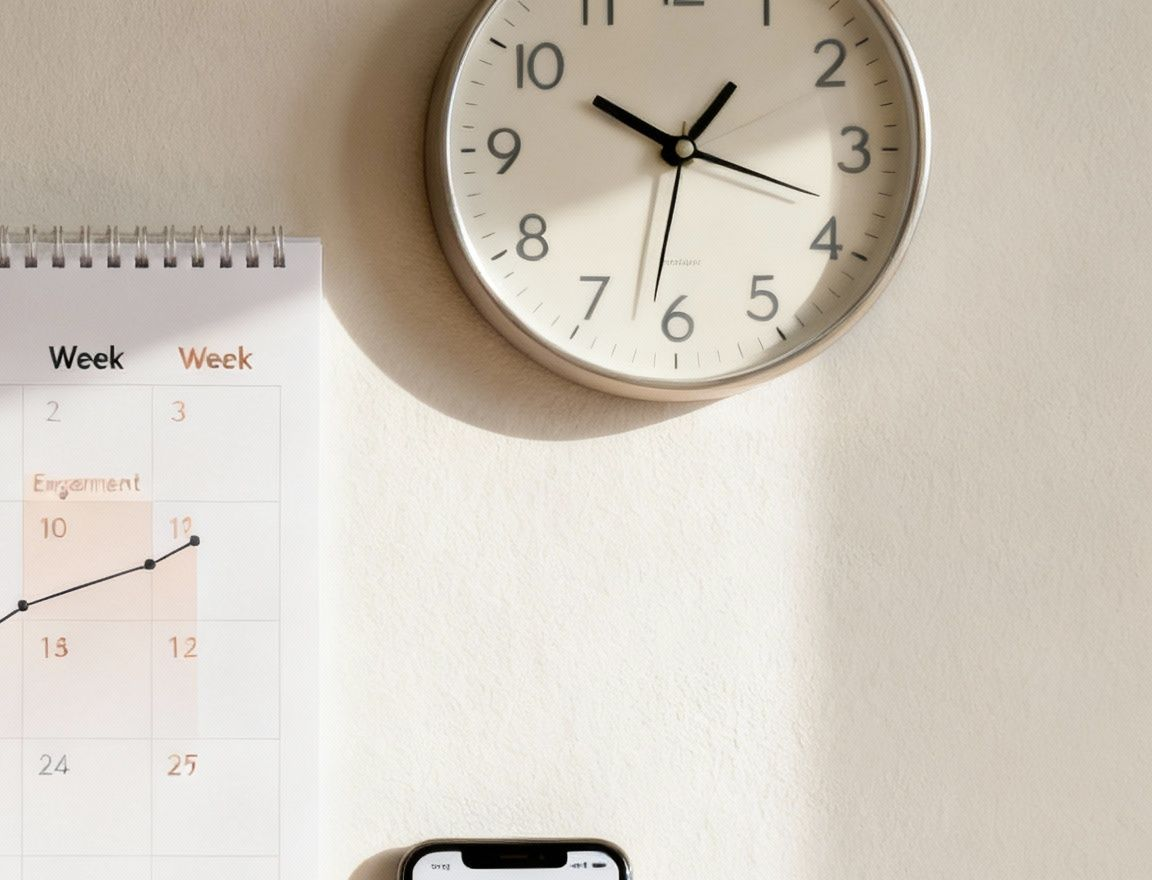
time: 1:18
